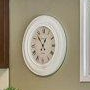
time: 12:53
